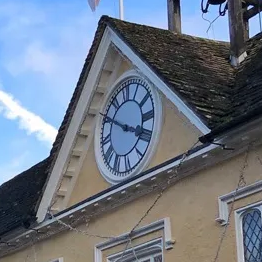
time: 3:50
